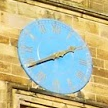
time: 1:39
